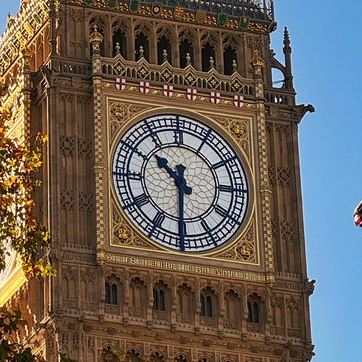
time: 10:30
